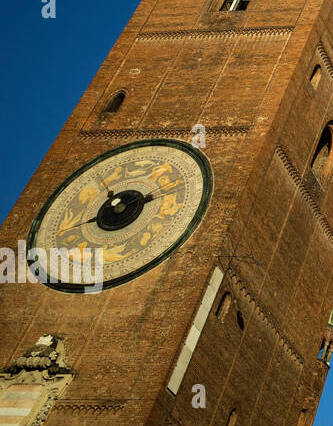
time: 8:12
